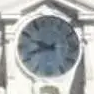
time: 9:42
